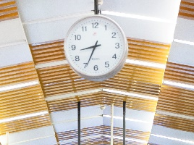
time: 8:34
